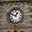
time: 12:49
